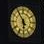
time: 5:54
